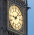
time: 9:07
